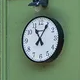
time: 11:05
